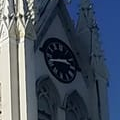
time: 2:42
